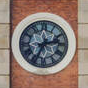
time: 2:34
